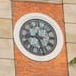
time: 8:27
